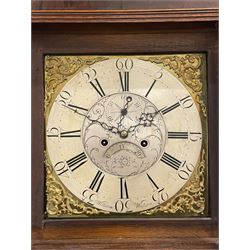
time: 12:09
